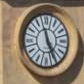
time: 11:25
